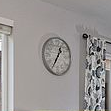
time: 12:34
